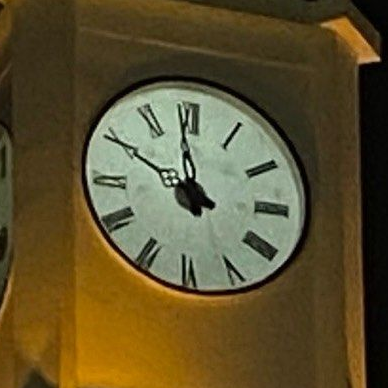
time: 9:58
